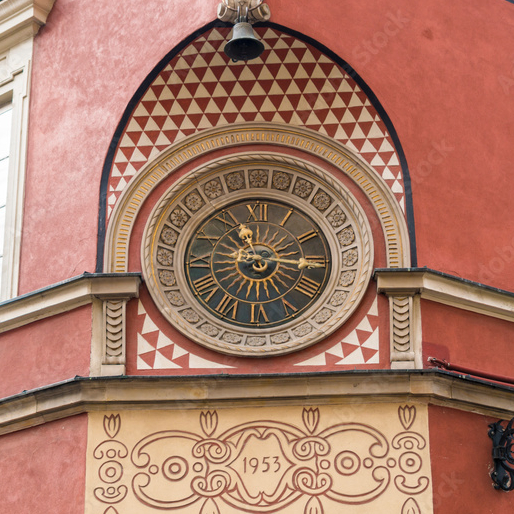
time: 11:14
